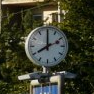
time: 8:00
